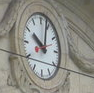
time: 10:02
